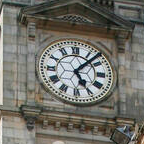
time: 5:07
